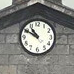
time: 10:50
